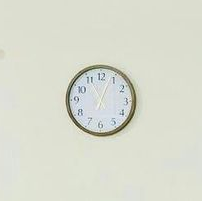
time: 11:03
